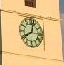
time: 8:01
